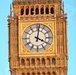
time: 4:01
